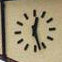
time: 12:27
